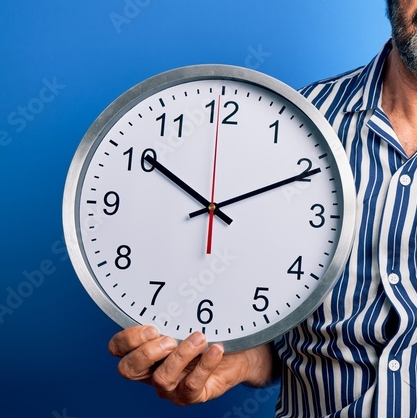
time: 10:10
